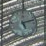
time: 5:11
